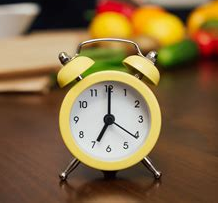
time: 7:00
